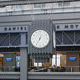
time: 12:34
